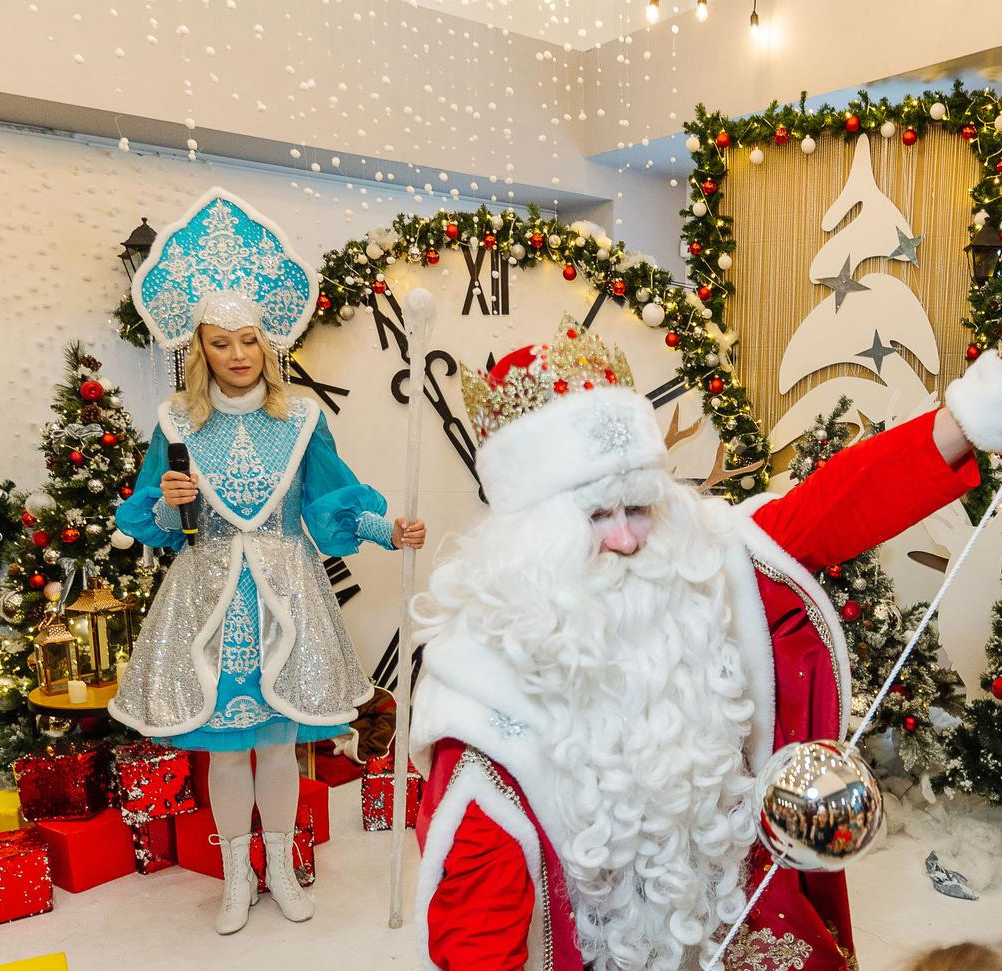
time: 10:55
